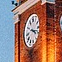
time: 4:17
